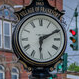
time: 6:10
